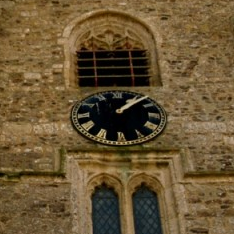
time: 1:07
